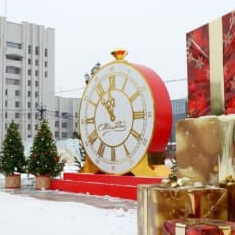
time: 11:53
